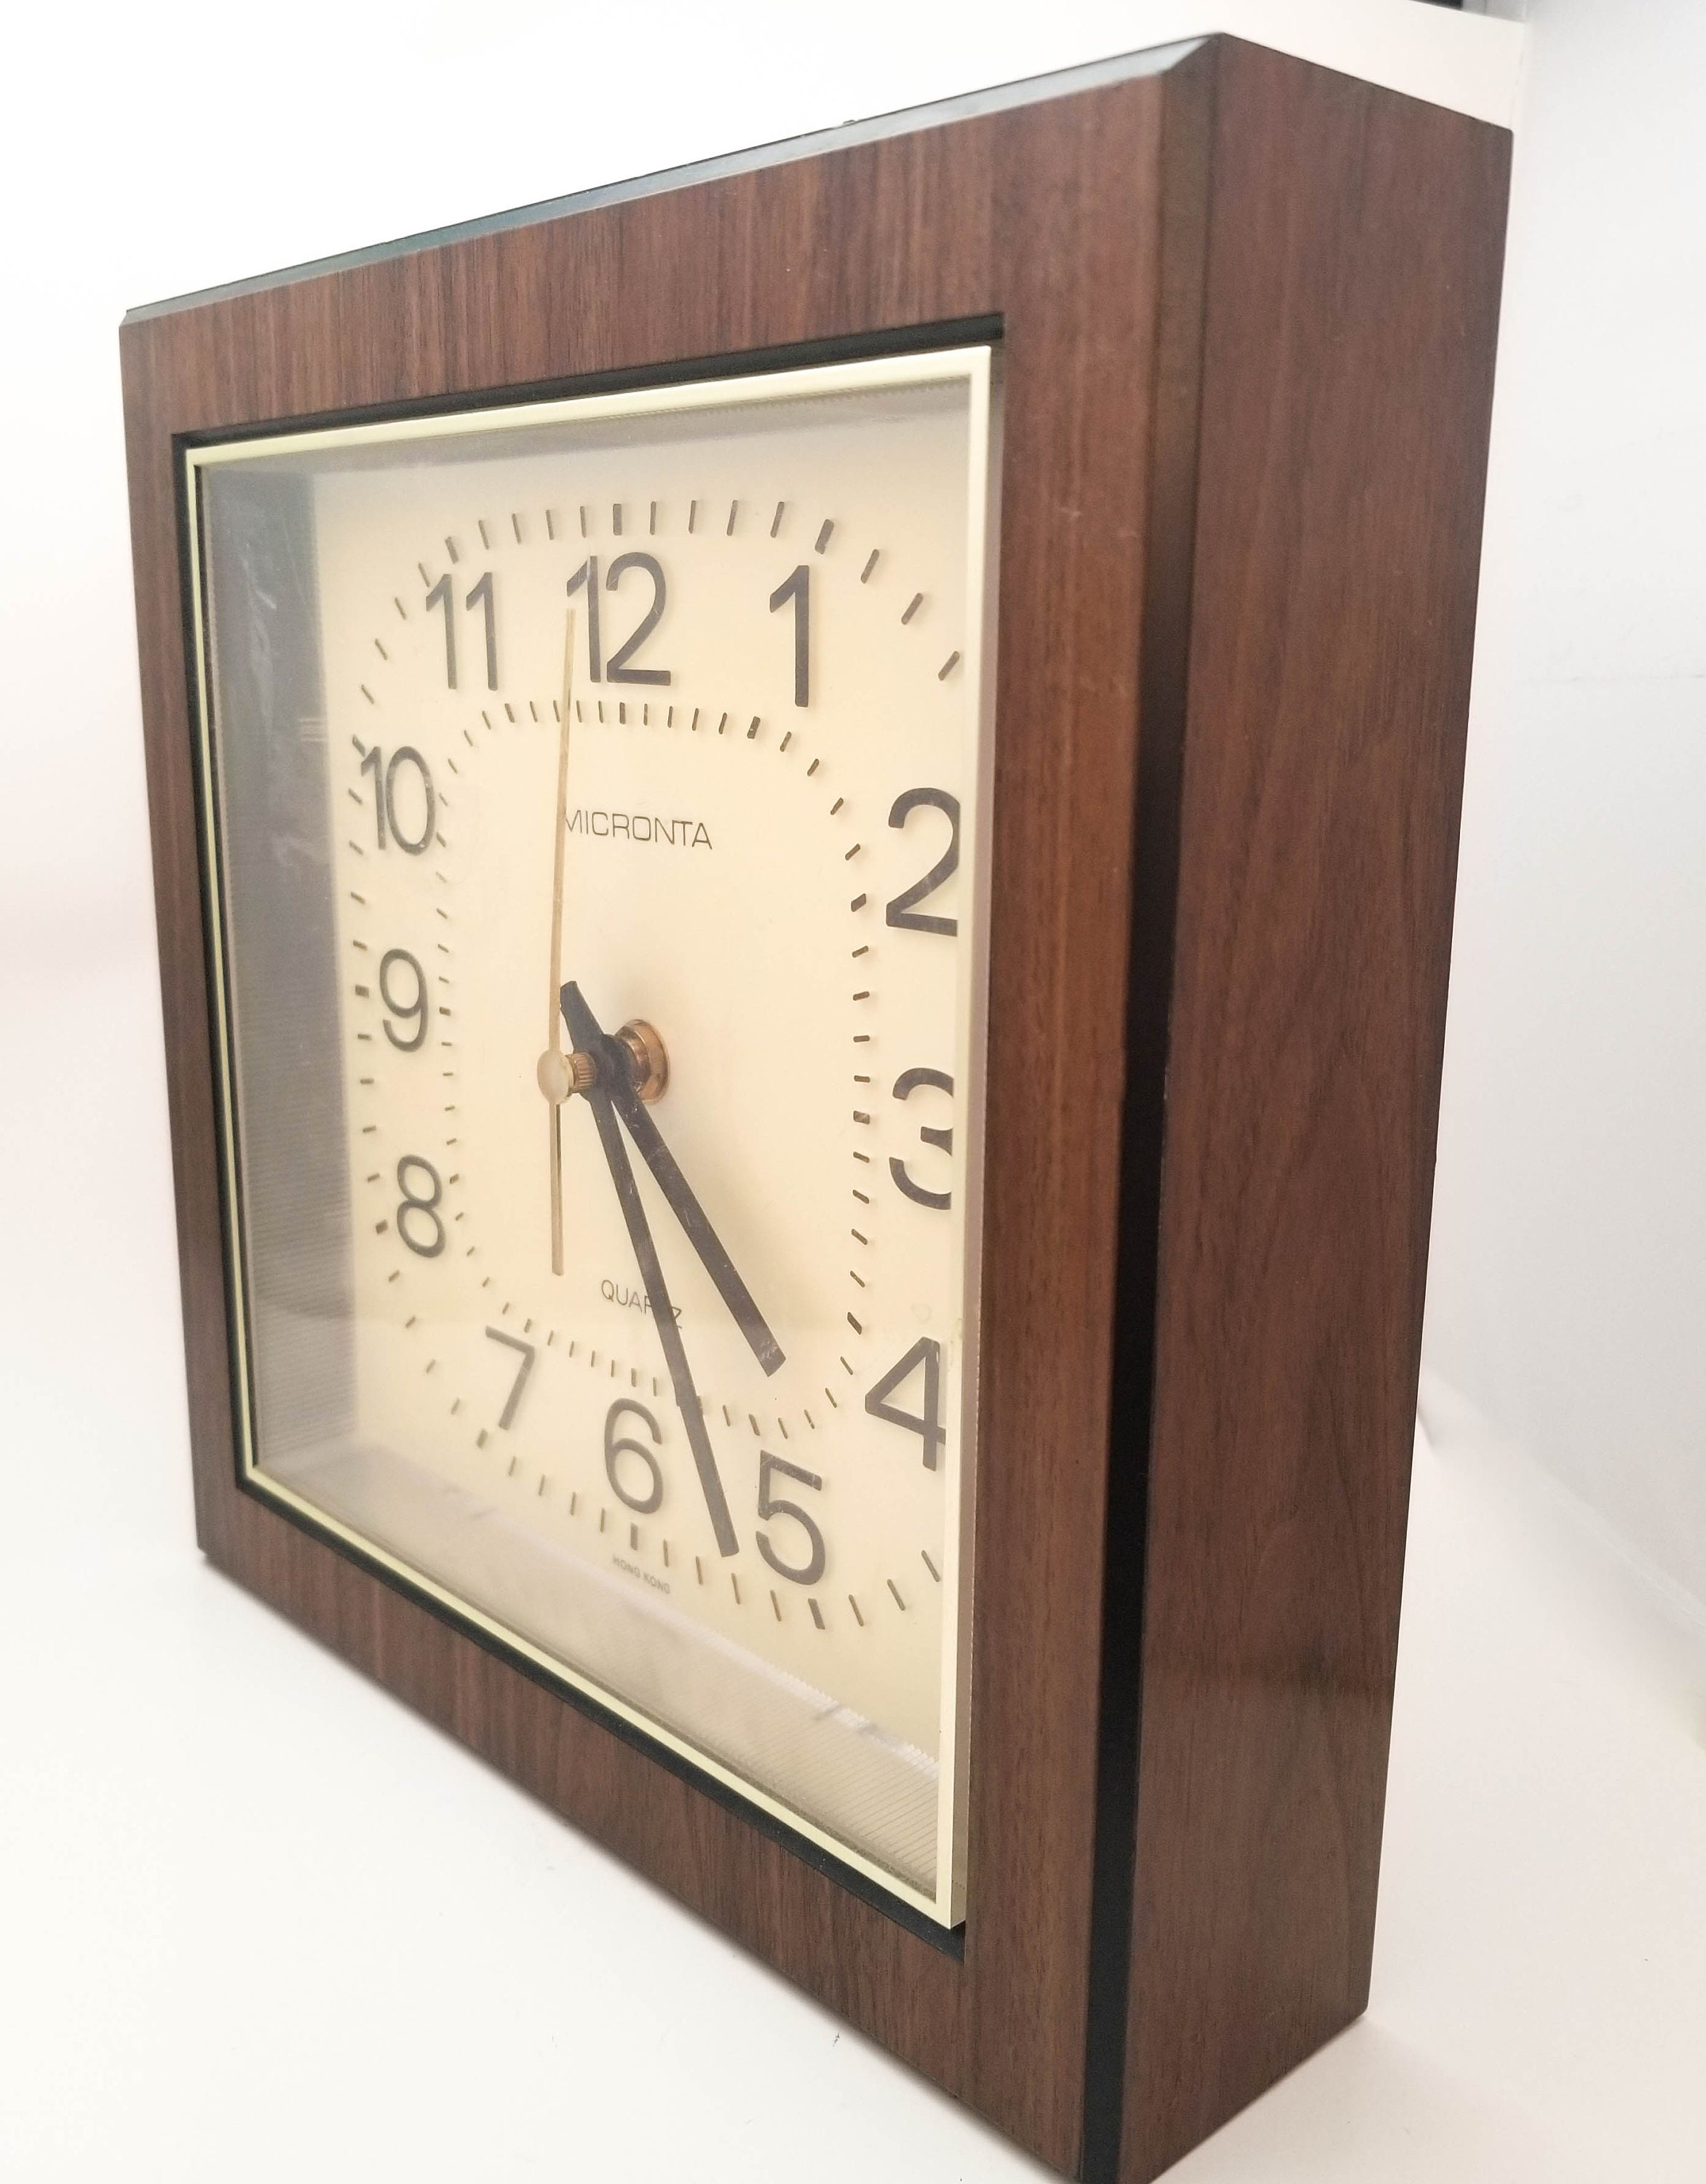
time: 4:26
